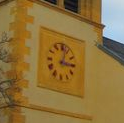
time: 3:02
